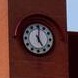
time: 5:01
